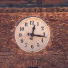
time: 12:16
